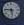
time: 5:46
